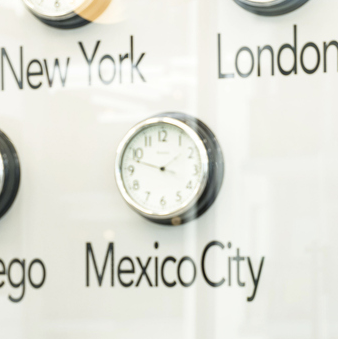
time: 1:47
